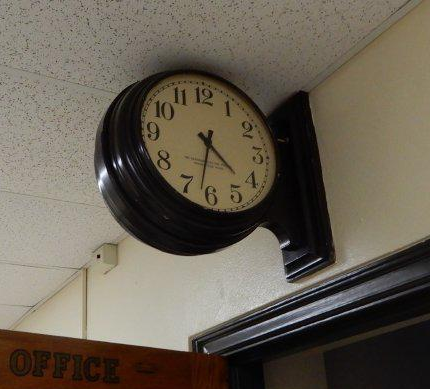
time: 4:32
